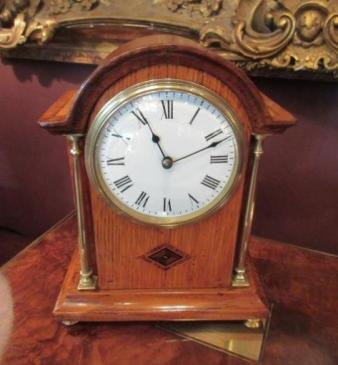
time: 11:11
